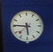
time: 5:45
